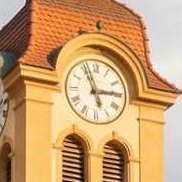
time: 2:56
